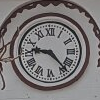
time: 9:23
